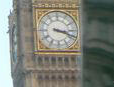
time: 3:18
